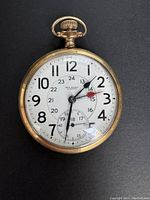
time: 1:31
